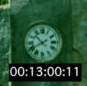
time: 10:40
